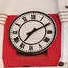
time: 7:10
